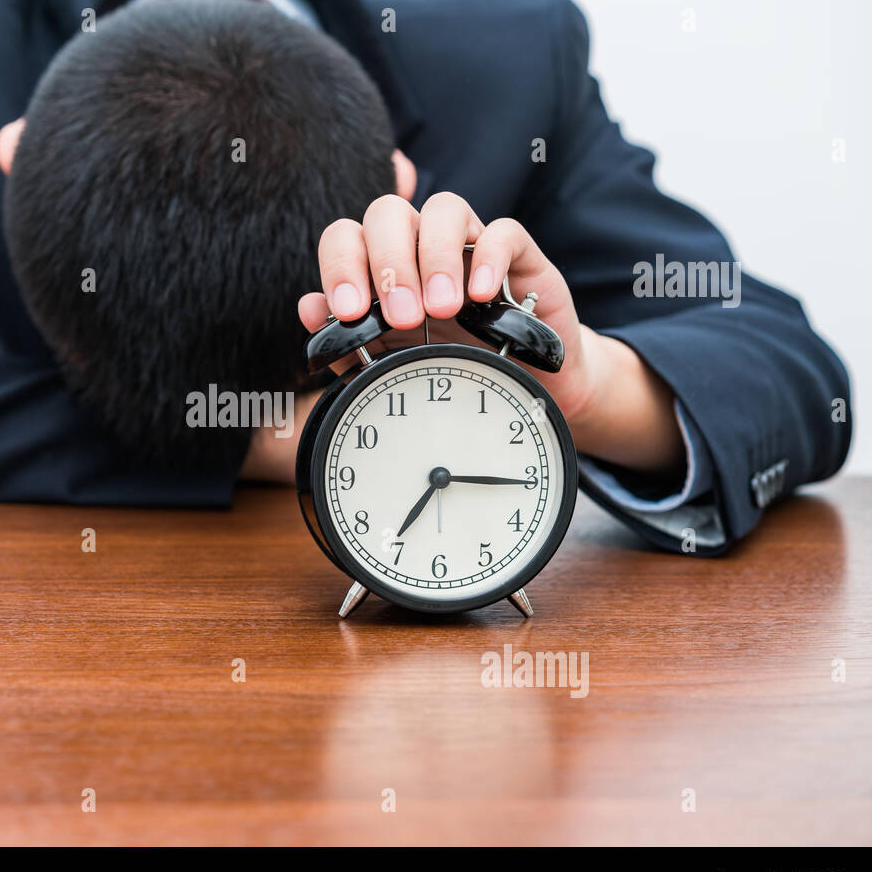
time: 7:15
